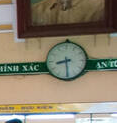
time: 8:29
